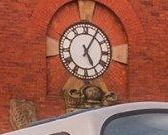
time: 5:05
